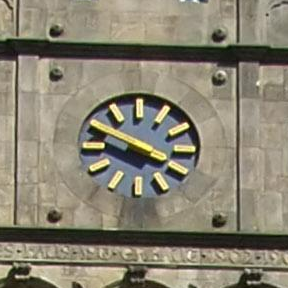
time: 3:48
